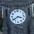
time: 3:39
